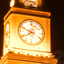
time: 7:48
